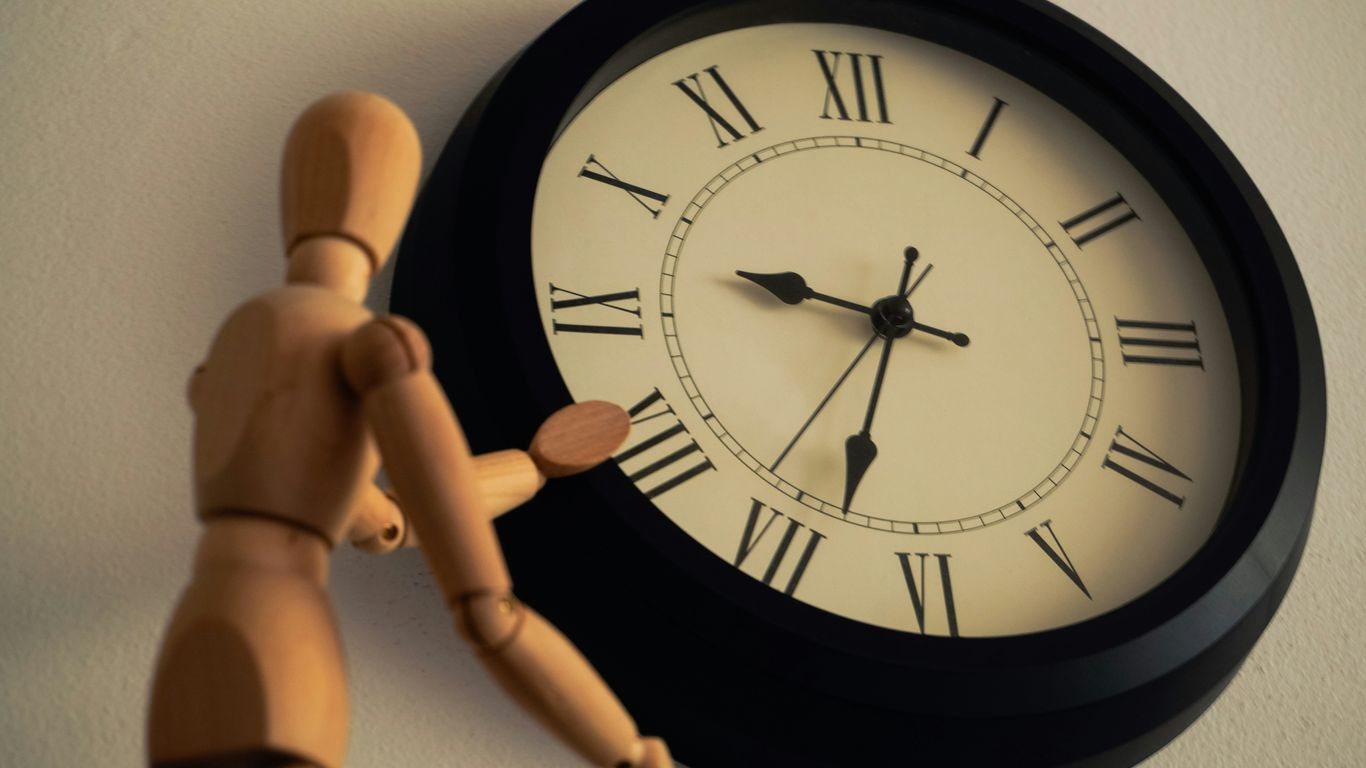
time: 9:33
